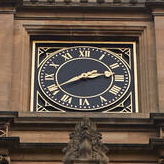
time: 2:40
